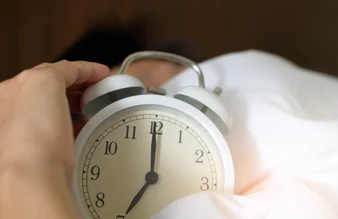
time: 7:00
